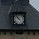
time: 10:53
